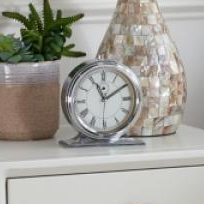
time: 11:09
